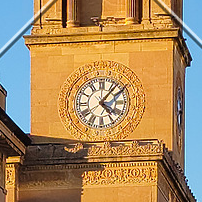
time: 4:07
